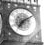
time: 7:09
